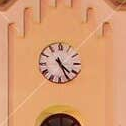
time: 4:25
